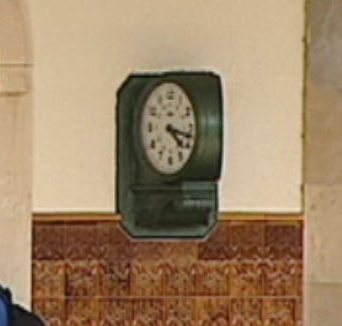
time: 4:17
